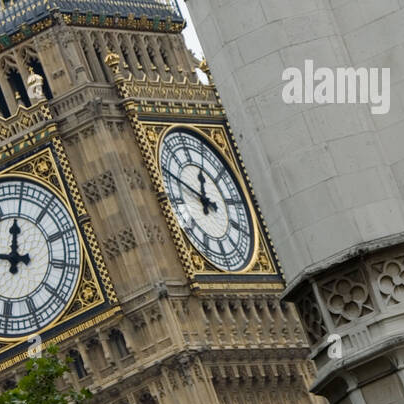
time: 12:49
